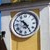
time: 10:24
